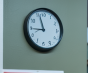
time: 8:56
